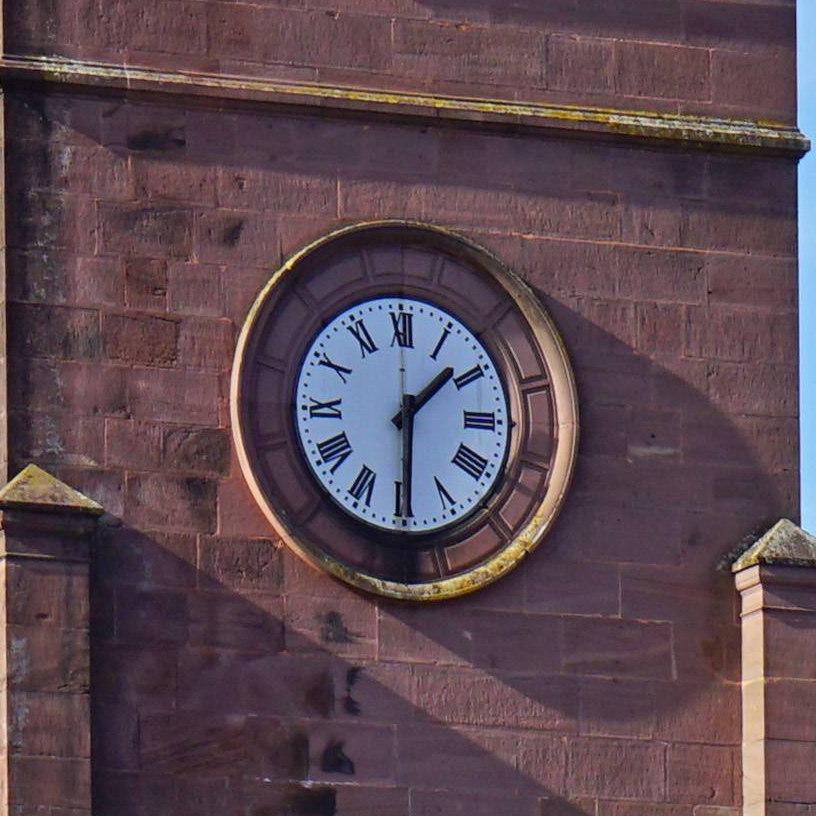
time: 1:29
